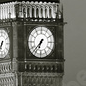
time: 6:36
